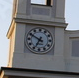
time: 6:49
